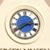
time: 2:39
